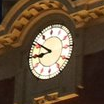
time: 8:50
